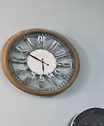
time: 5:49
